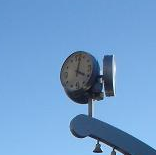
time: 4:02
